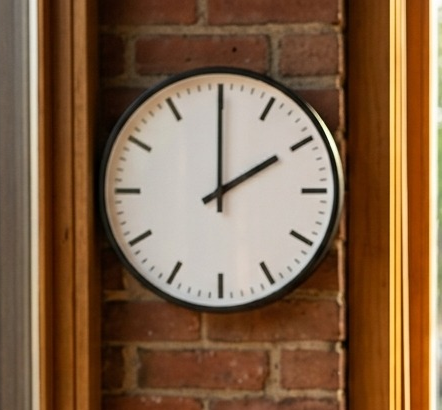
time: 2:00
